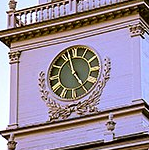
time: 4:57
